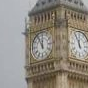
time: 11:55
